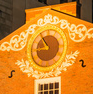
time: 8:54
